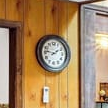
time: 1:46
